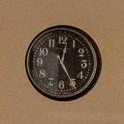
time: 12:25
